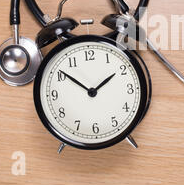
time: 1:51
